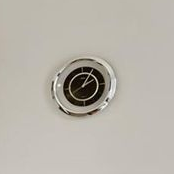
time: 2:04
